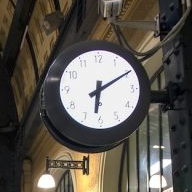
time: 6:10
